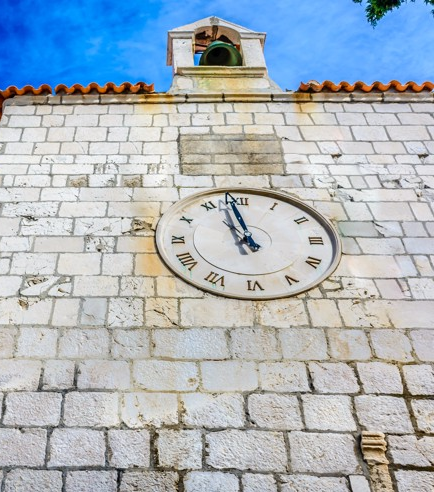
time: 10:58
